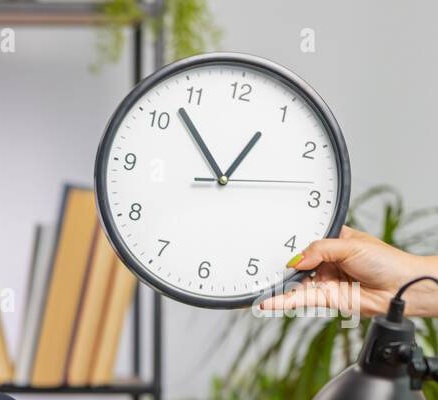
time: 12:52
